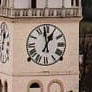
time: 12:58
